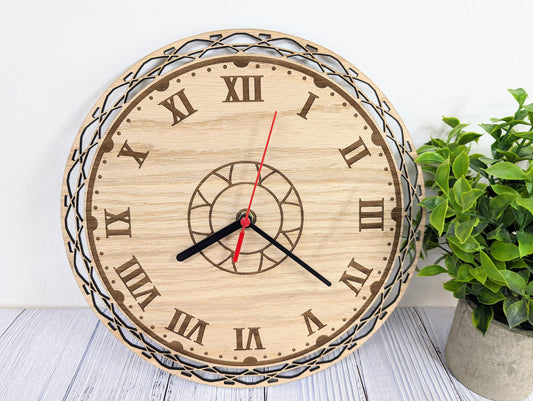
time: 8:21
